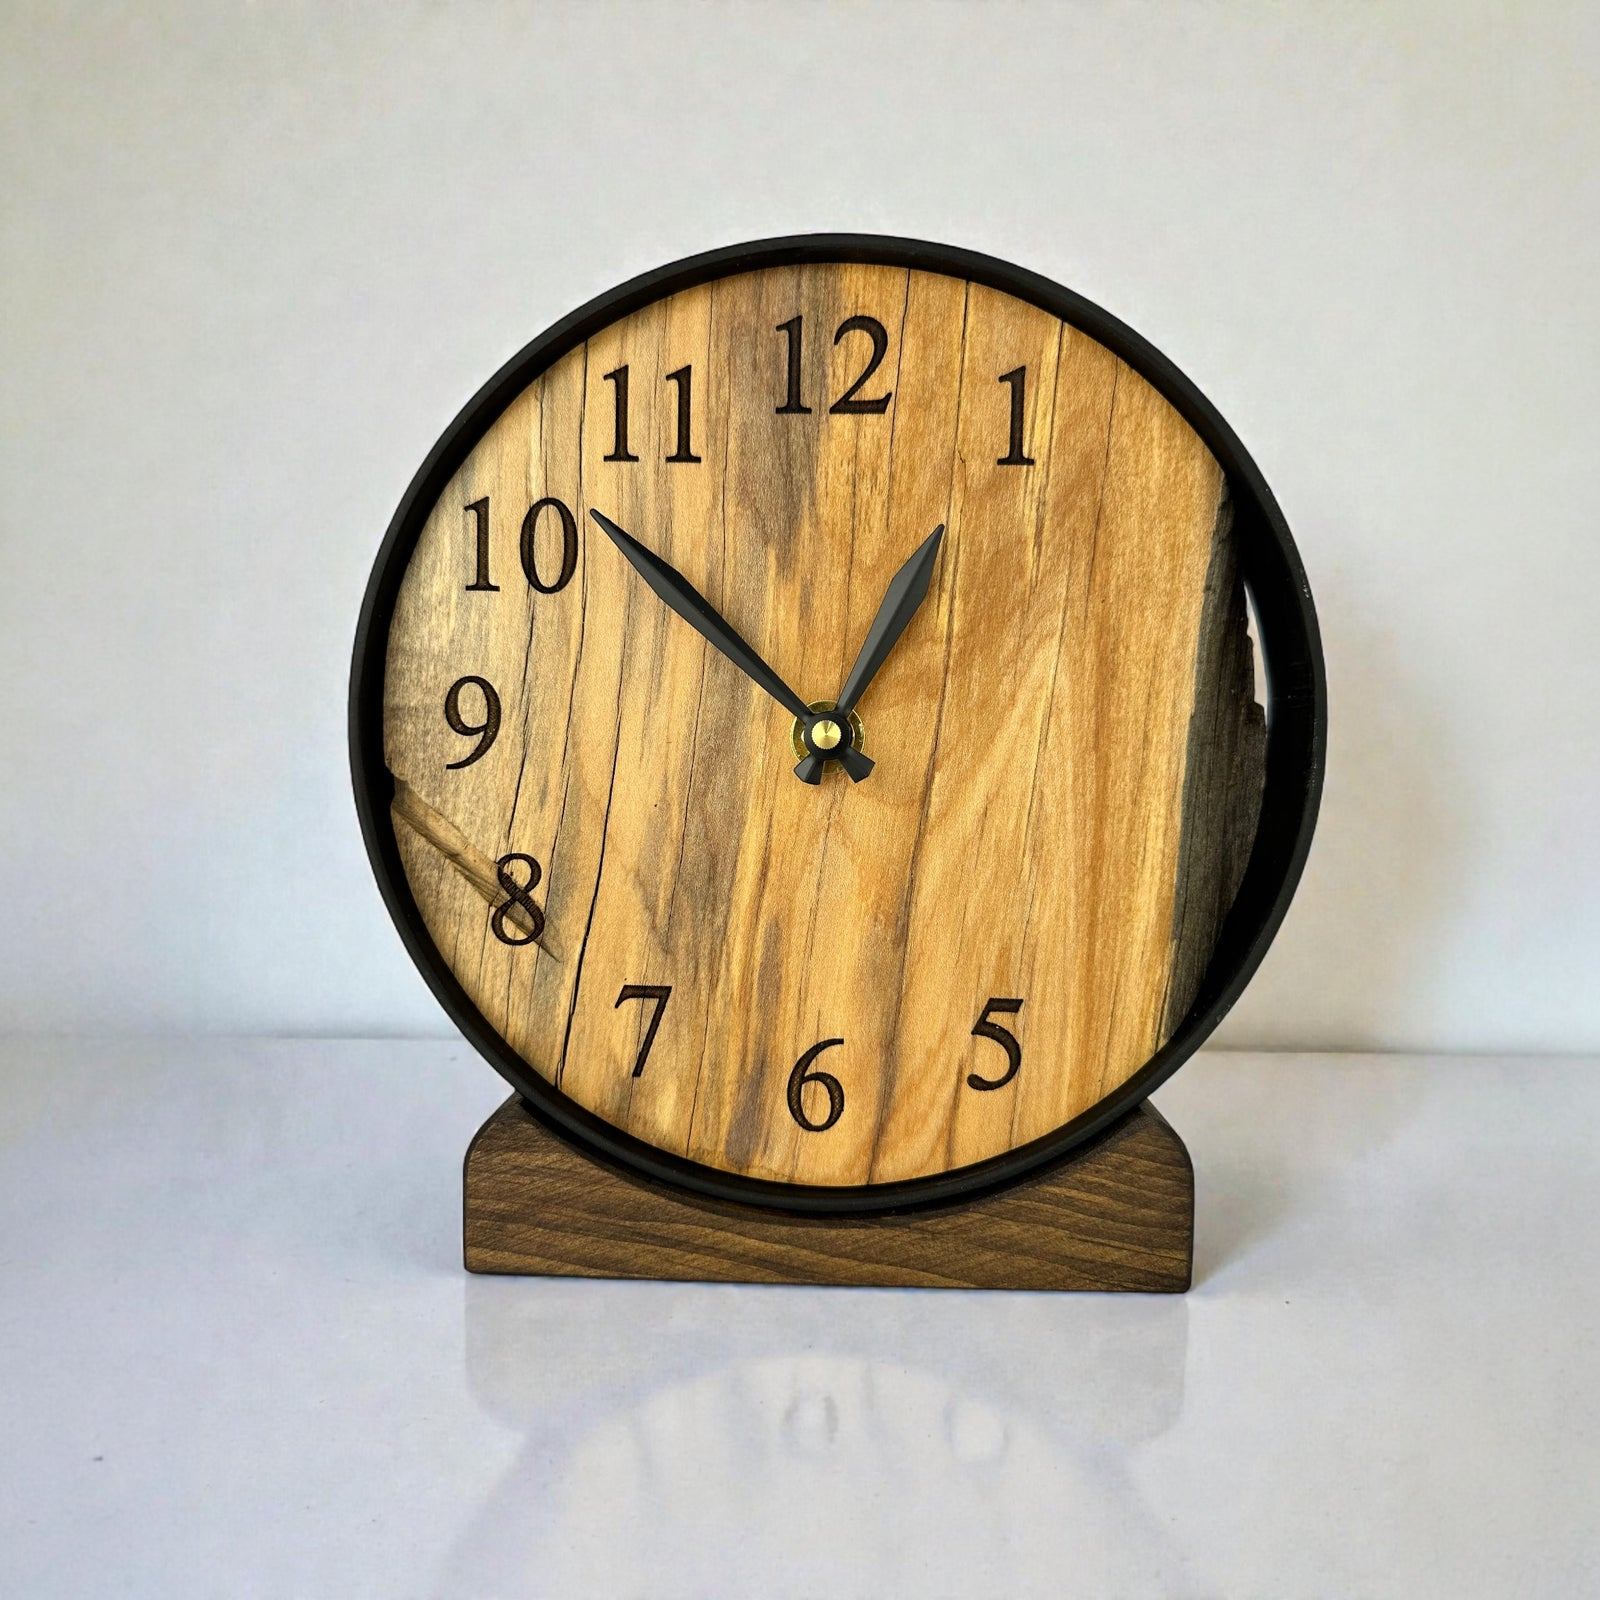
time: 12:52
